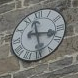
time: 3:28
